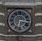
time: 6:15
